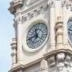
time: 11:42
